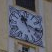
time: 11:17
